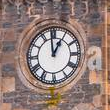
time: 12:58
